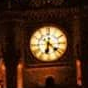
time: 6:21
